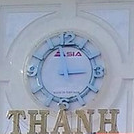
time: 2:58
